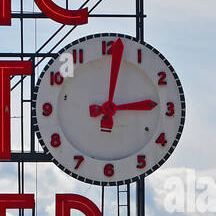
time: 3:01
